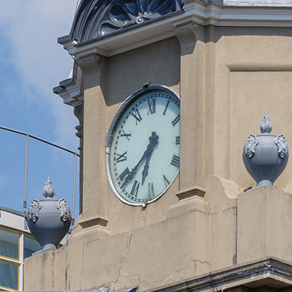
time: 6:38
